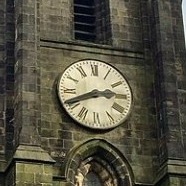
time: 2:40
